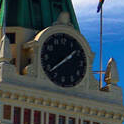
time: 1:38
